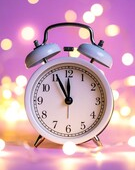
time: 11:55
